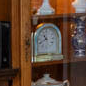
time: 10:41
